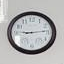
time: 9:13
